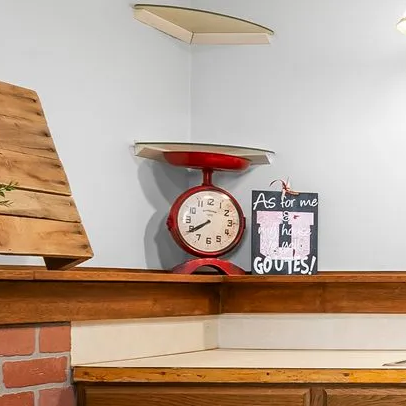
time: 7:40
